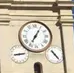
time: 7:05
